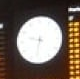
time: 9:32
